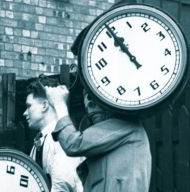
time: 10:55
